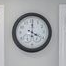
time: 4:01
